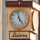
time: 4:57
